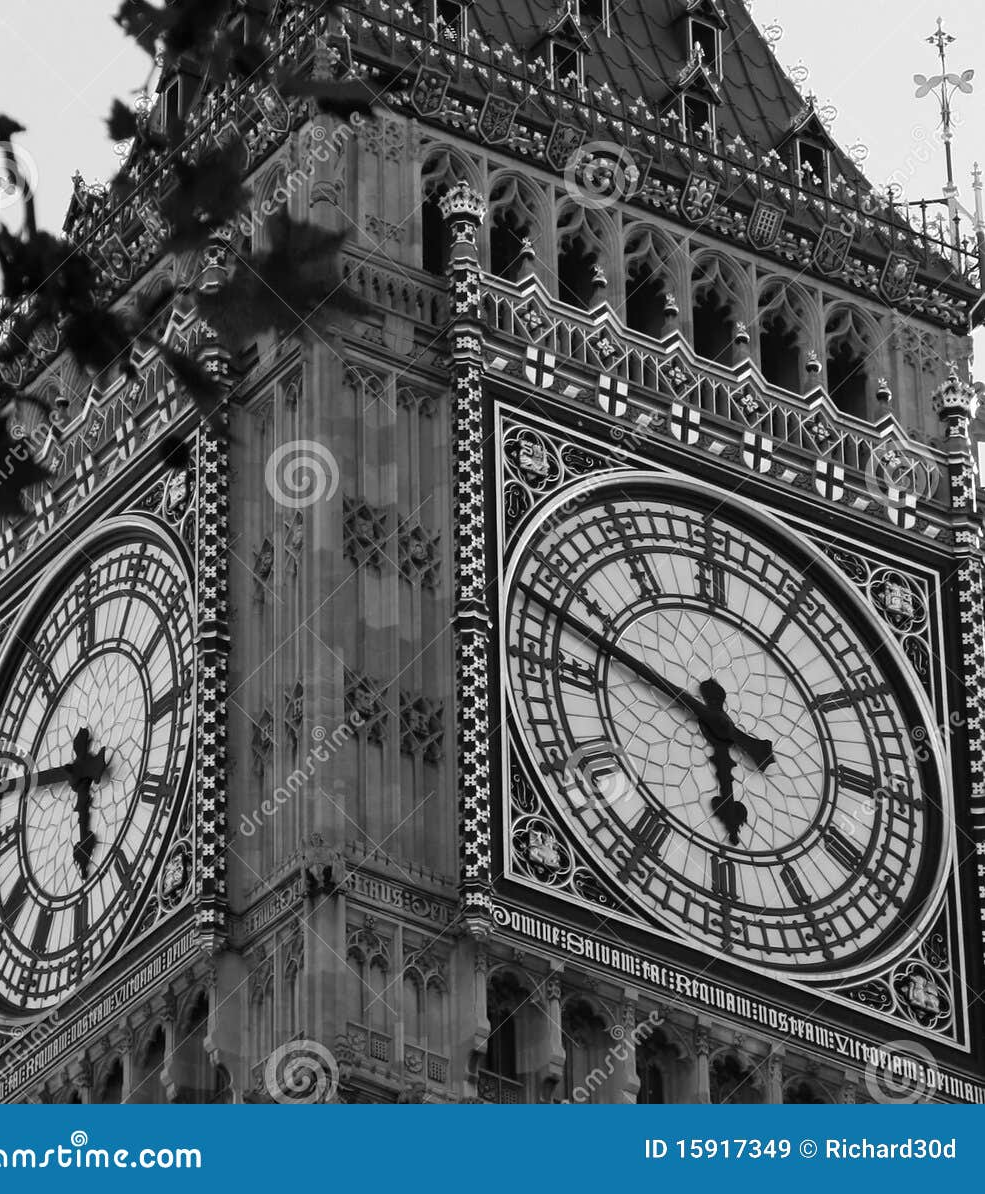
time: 5:47
